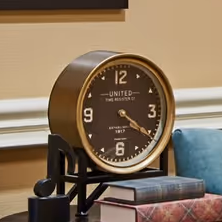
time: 4:20
